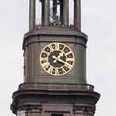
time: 2:18
